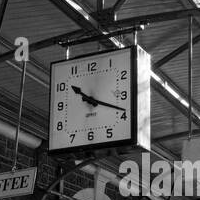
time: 10:18
